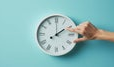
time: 2:00
